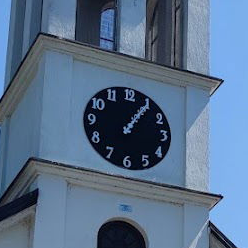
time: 1:05
